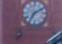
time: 7:09
